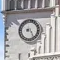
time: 8:23
